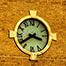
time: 3:38
